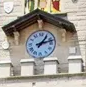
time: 1:12
